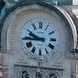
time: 9:44
